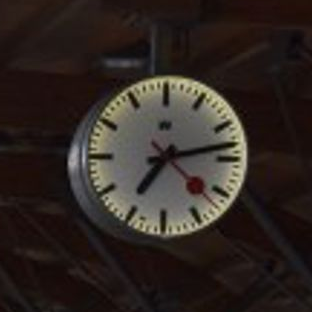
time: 7:13
